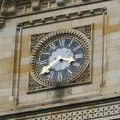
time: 3:38
